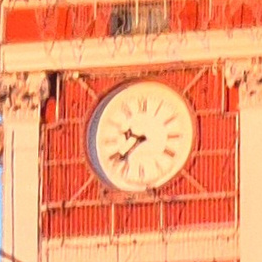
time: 9:38
